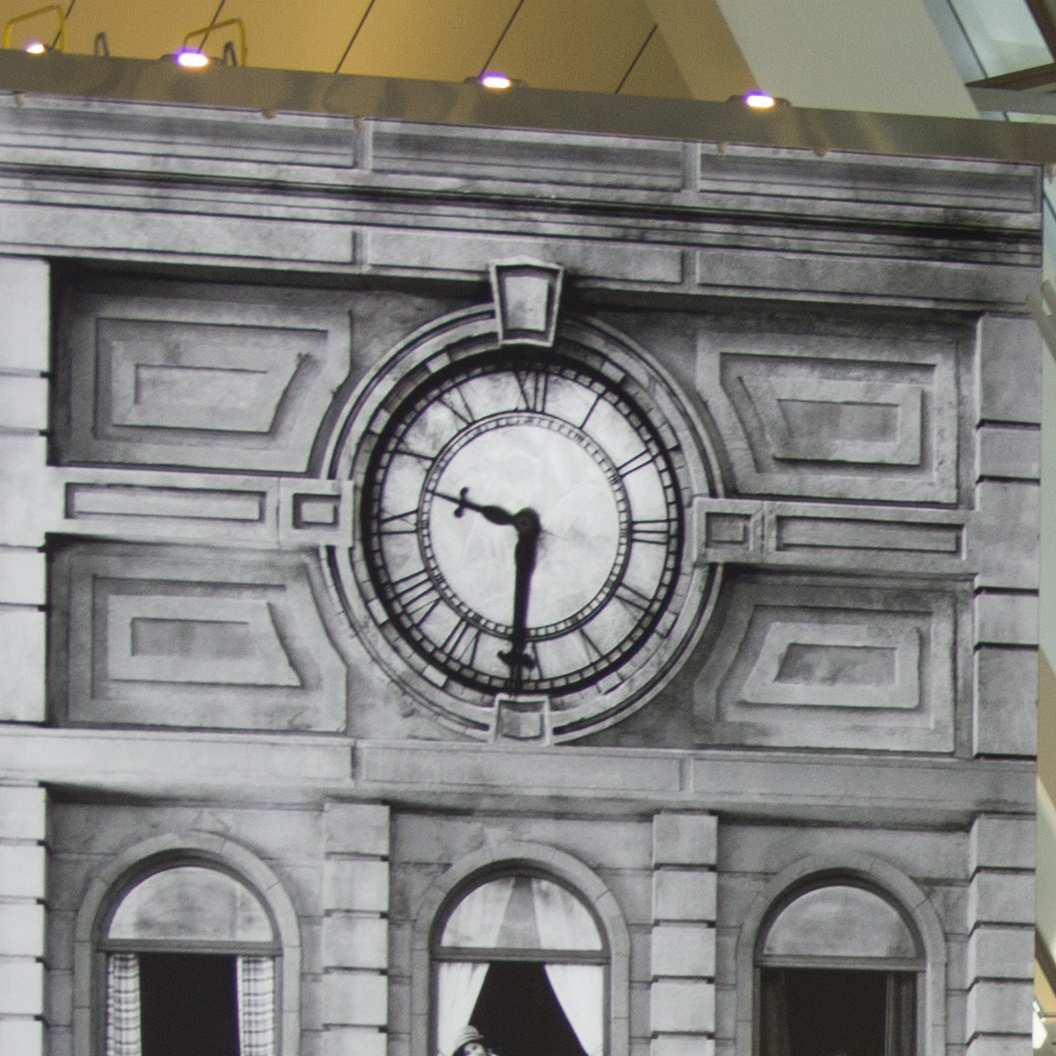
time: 9:31
